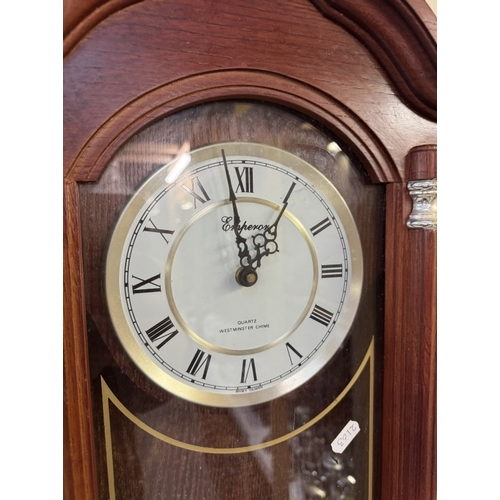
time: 12:58
